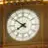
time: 7:50
